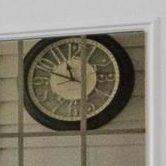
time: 11:48
